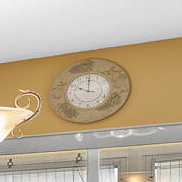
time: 10:00
